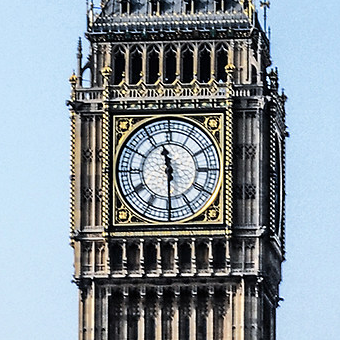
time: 11:29
